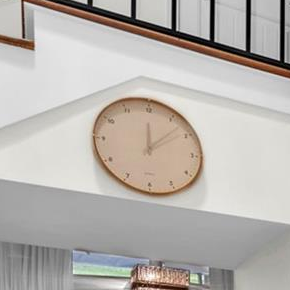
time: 12:07
